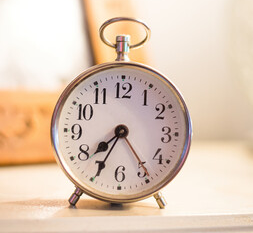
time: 7:34
